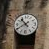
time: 10:40
